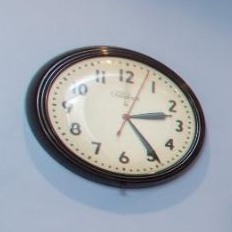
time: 2:24
